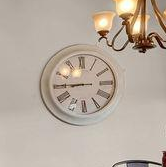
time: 8:45
